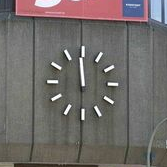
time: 11:59
